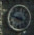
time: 3:48
